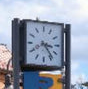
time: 3:23
